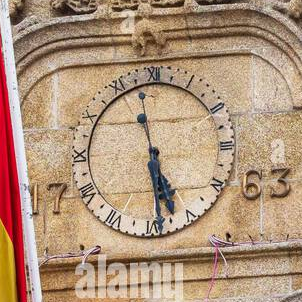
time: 5:28
